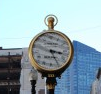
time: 3:25
